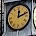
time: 12:11
